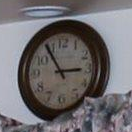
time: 2:54
